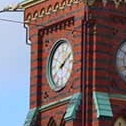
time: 8:09
